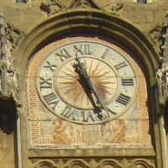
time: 11:26
